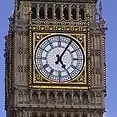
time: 5:05
